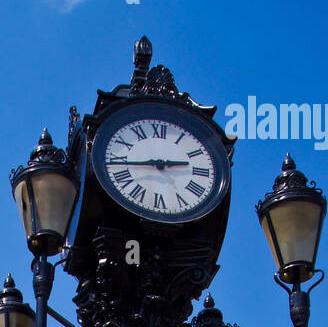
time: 2:43
